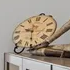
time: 9:28
